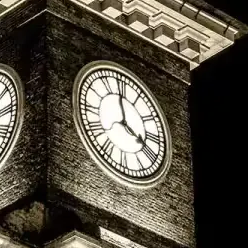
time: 3:58
